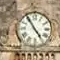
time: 4:54
